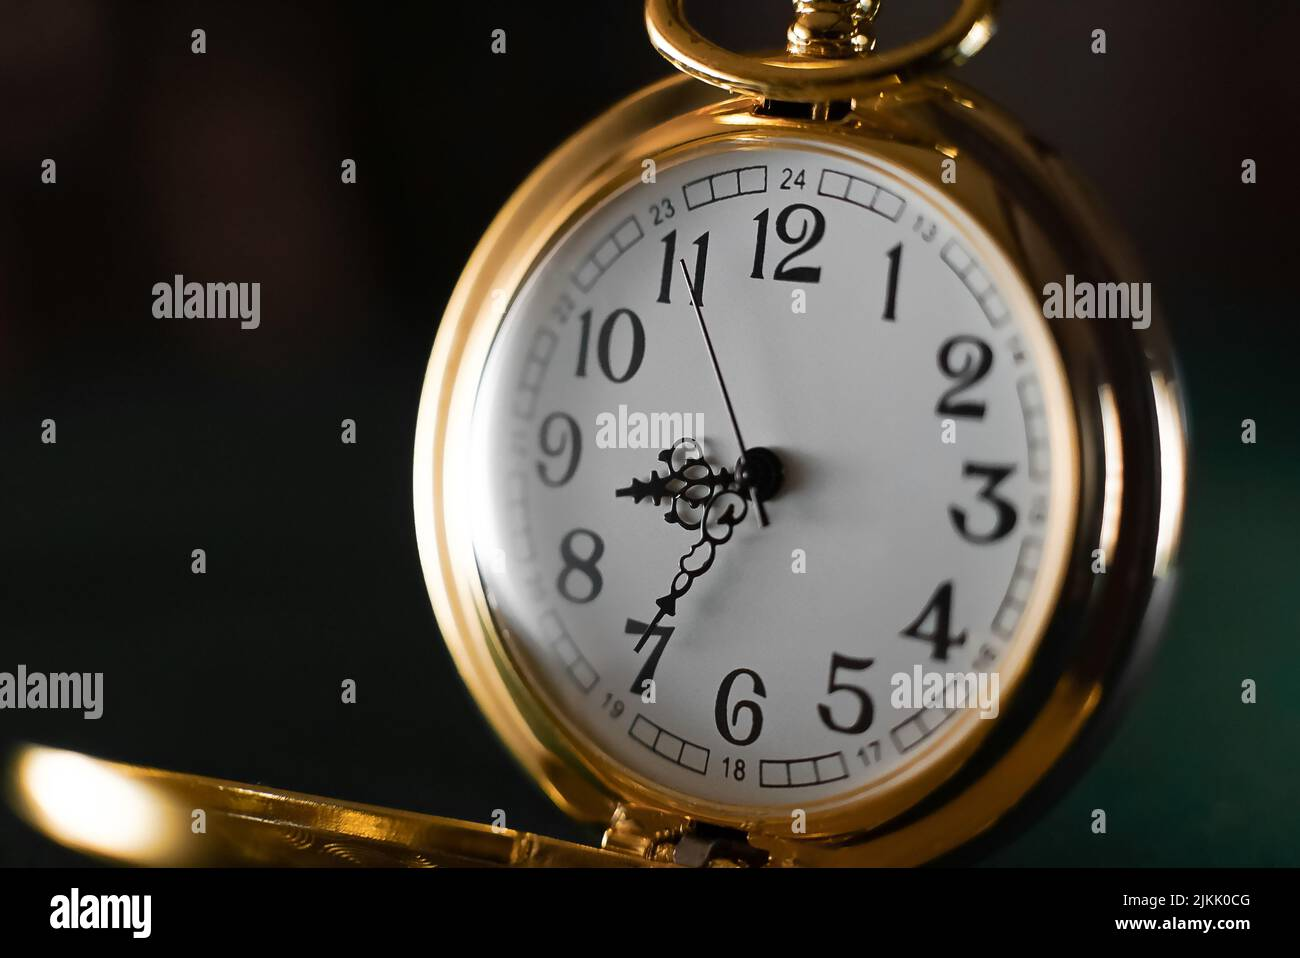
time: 8:35
